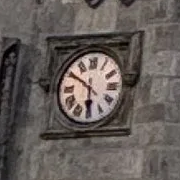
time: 5:50
